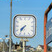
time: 7:36
